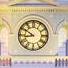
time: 8:50
